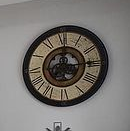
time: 12:14
